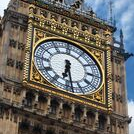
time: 6:28
